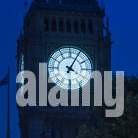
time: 4:04
